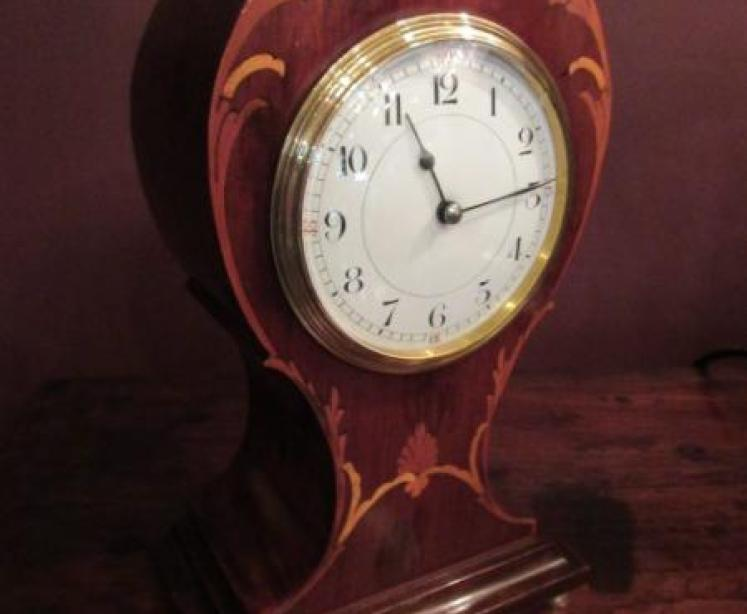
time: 11:14
